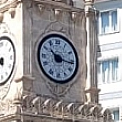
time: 10:16
